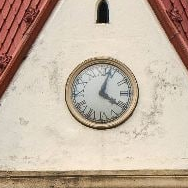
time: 4:03
